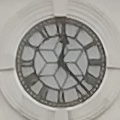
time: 12:23
